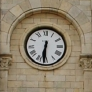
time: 6:31
